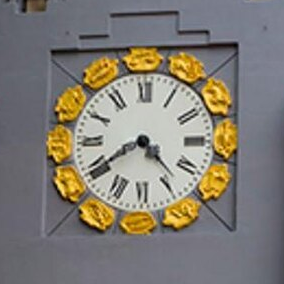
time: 4:39
